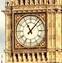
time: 11:07
